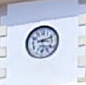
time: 3:11
